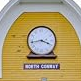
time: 3:43
